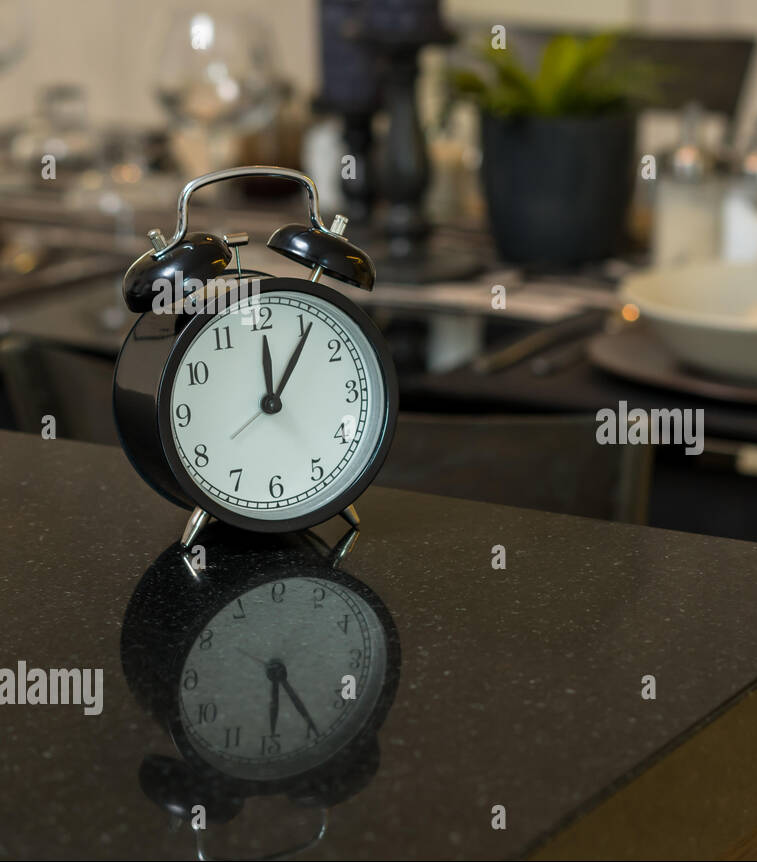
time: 12:05
